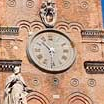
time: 10:30
